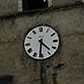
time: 4:31
